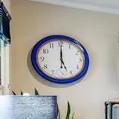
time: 5:00
